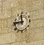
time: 11:46
